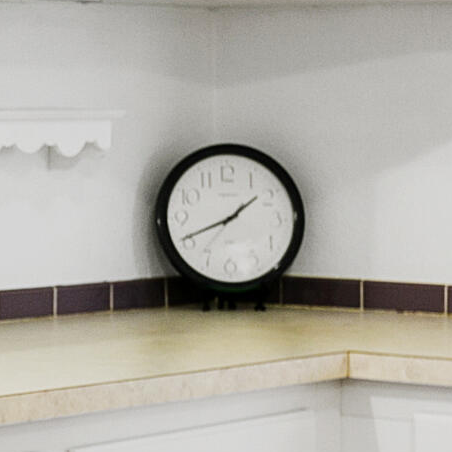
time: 1:40
